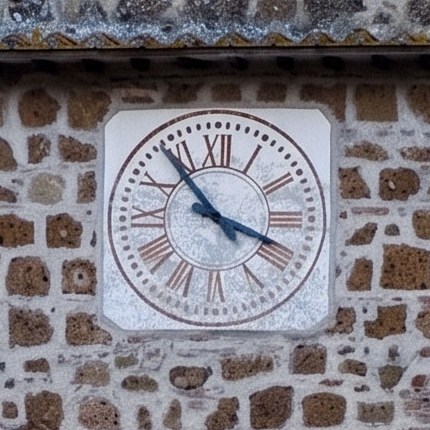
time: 3:53
